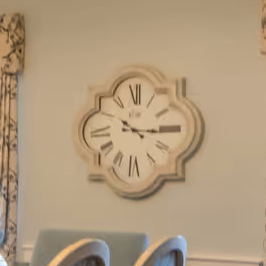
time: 10:14
